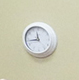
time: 11:43
